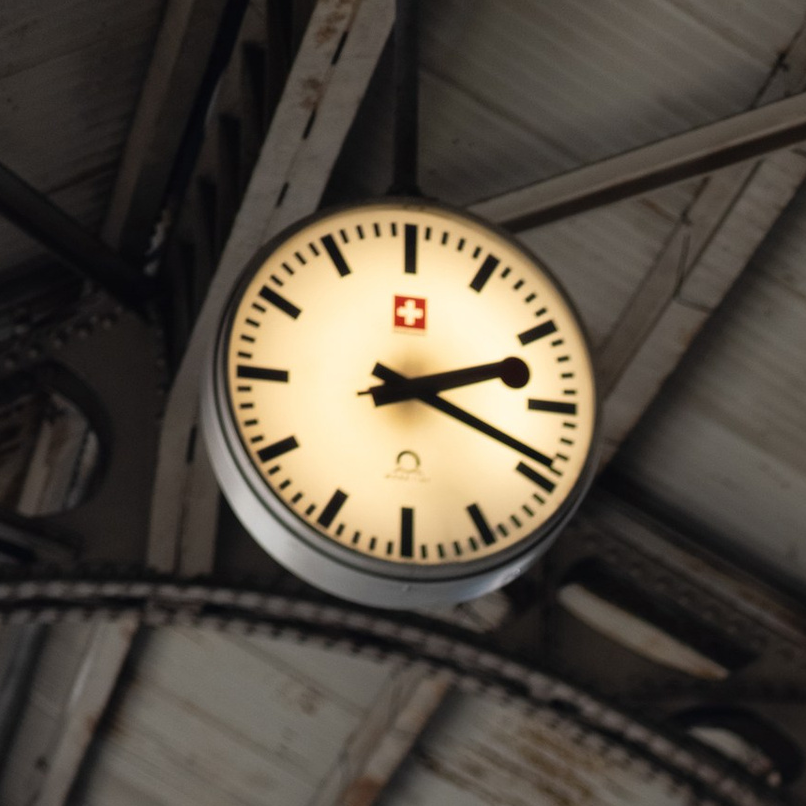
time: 2:18
